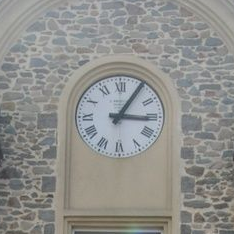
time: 3:05
